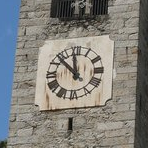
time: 11:52
